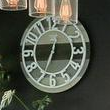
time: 12:34
